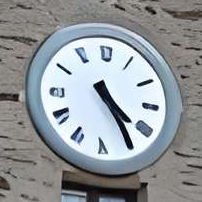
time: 4:24
